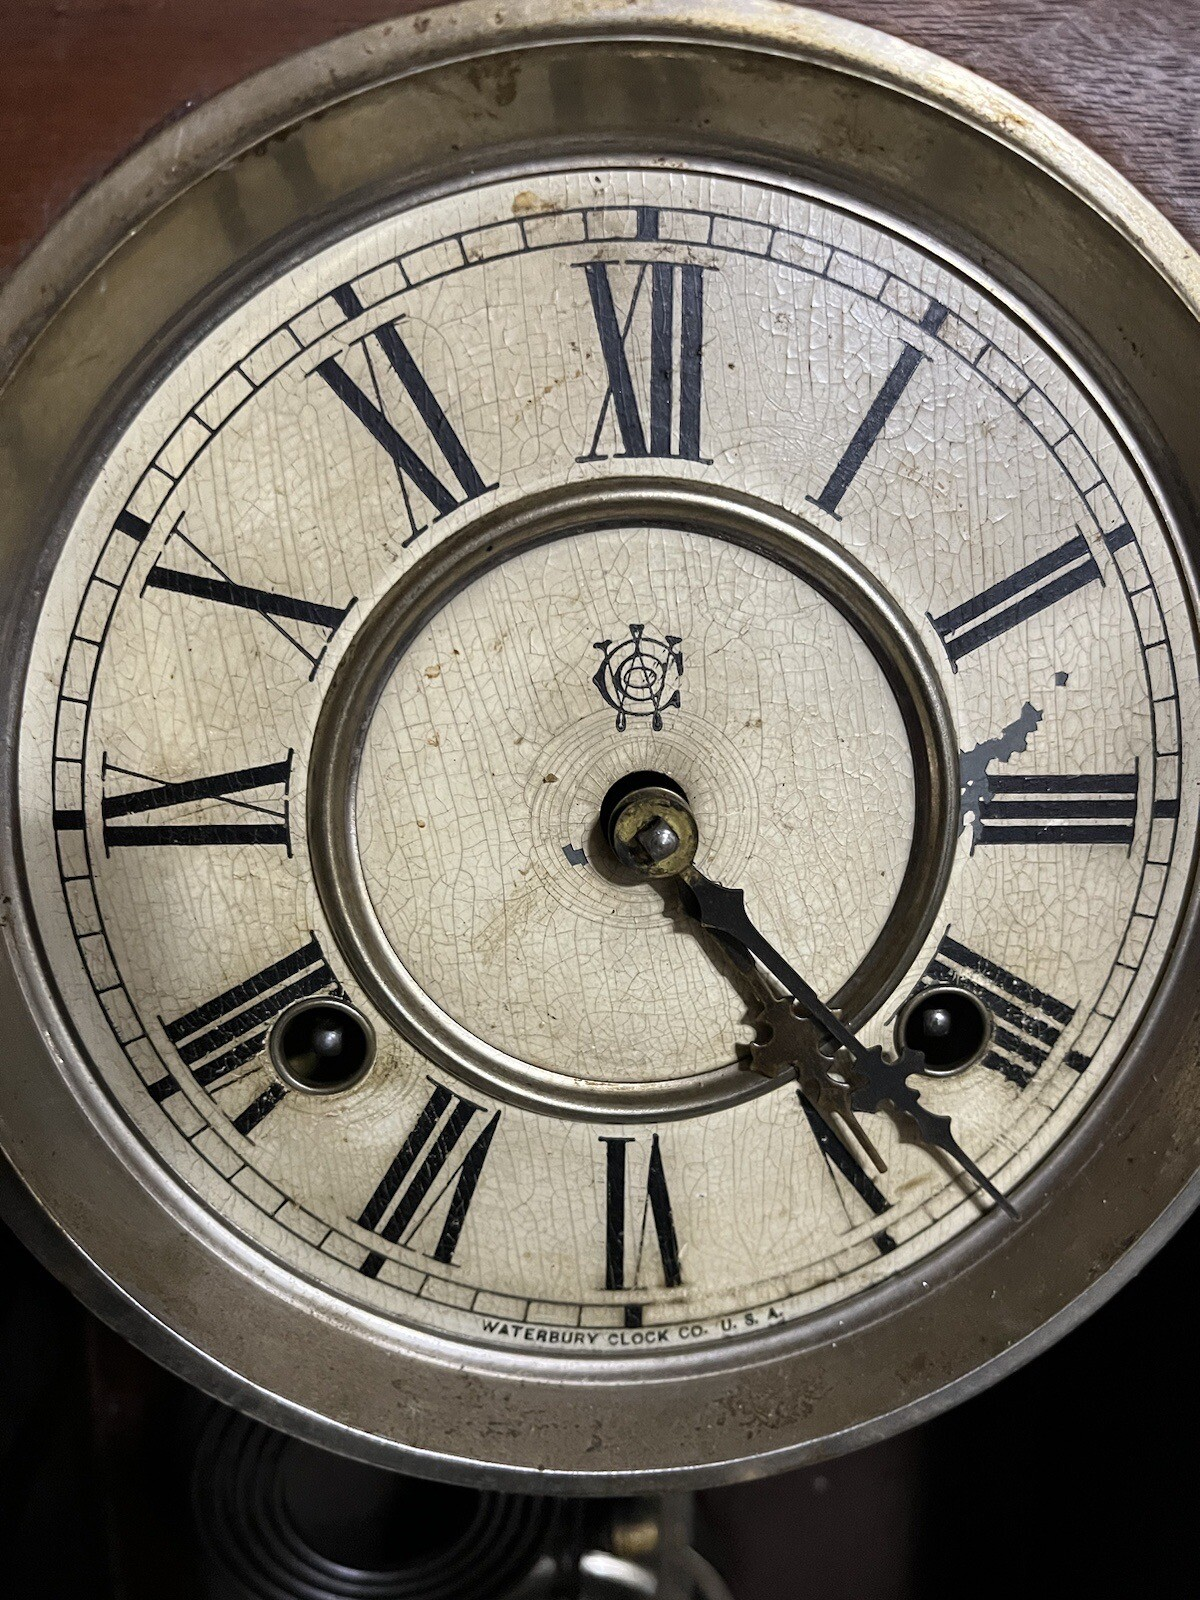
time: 4:23
